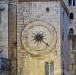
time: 2:21
